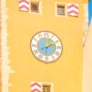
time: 2:02
